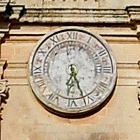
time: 6:26
